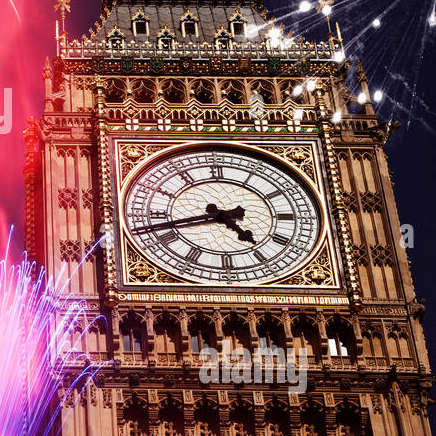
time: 4:42
